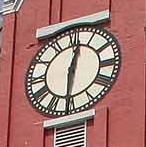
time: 12:30
